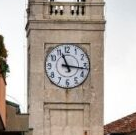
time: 11:16
